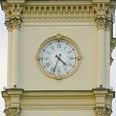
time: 4:33
